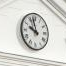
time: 9:57
